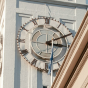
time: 3:10
